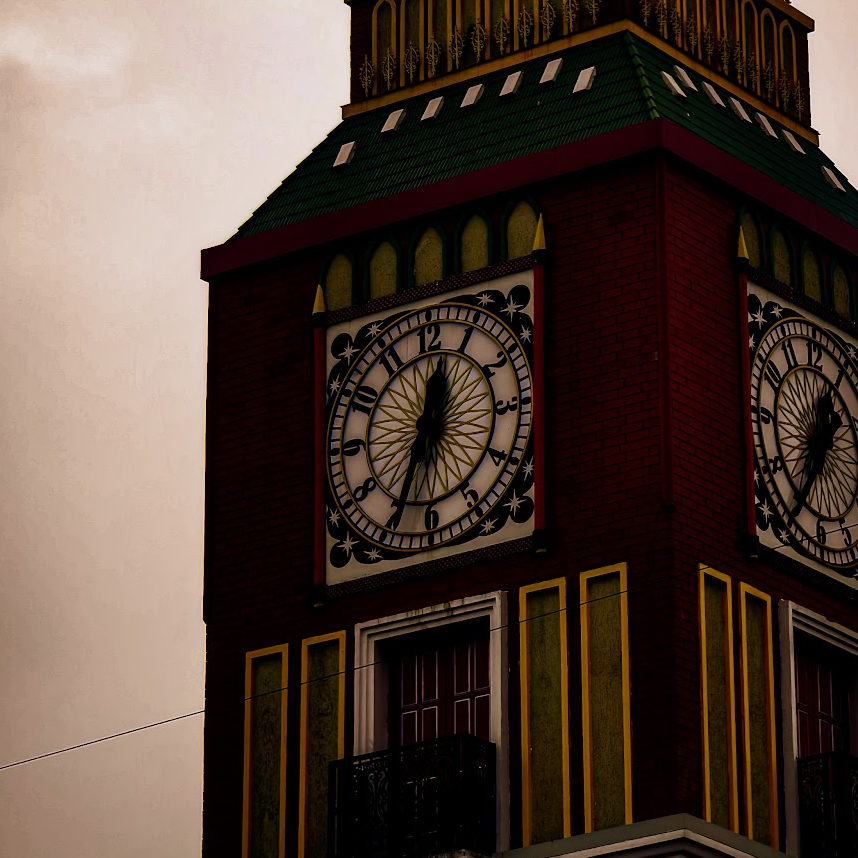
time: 12:34
